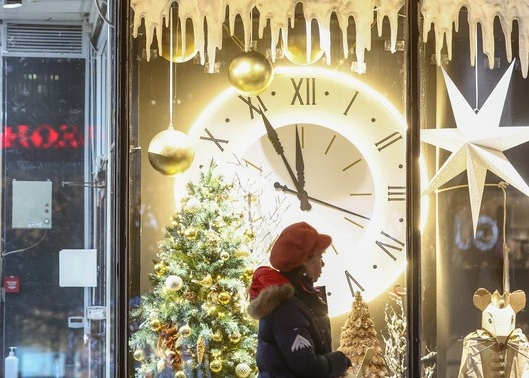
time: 11:55
